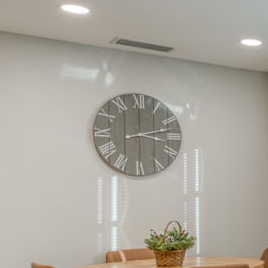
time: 3:12
